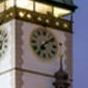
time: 7:08
